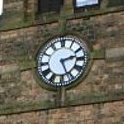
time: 2:26
